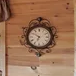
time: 6:50
